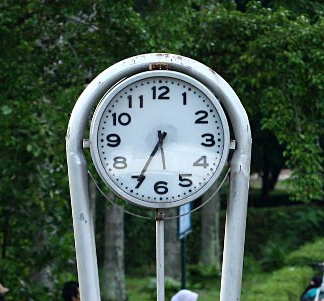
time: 5:34
